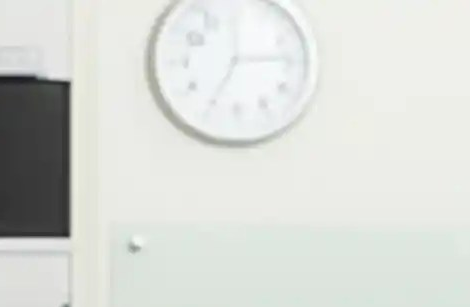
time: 2:34
